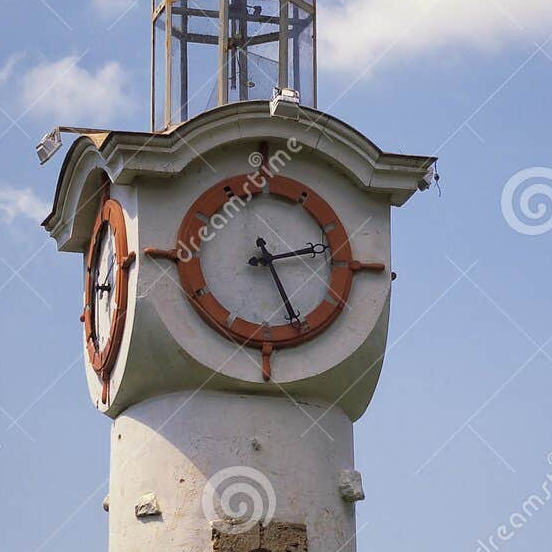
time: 2:25
